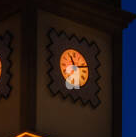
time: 11:13
